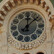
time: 12:07
